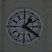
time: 1:20
